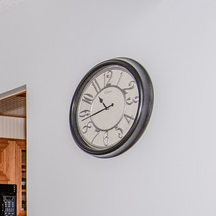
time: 10:42
